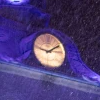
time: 1:46
